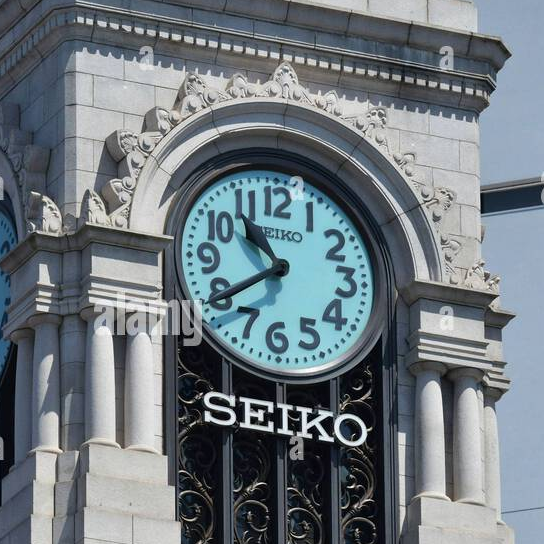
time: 10:39
